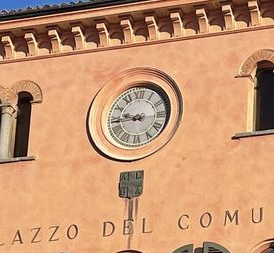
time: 9:44
